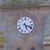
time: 5:18
